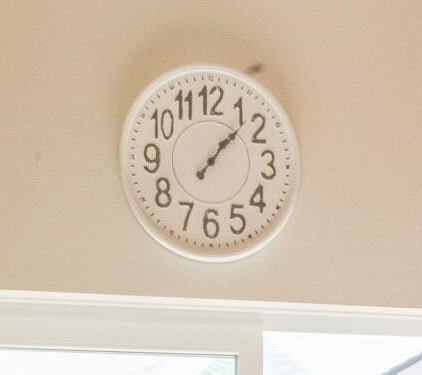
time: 1:07
